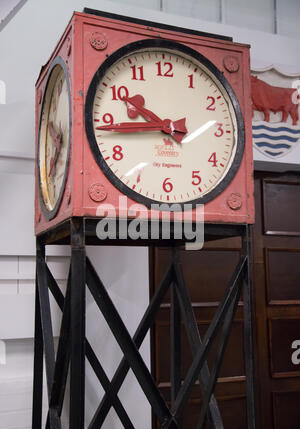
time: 9:43
